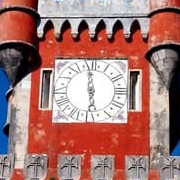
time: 5:59
